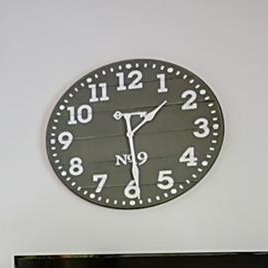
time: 1:29
